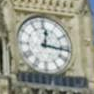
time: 12:16
